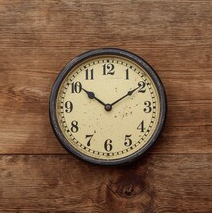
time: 10:09
